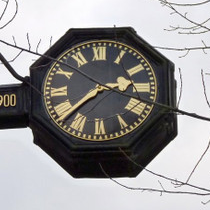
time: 2:37
